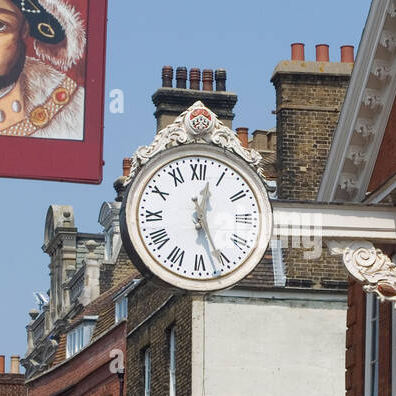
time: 12:27
